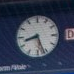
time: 8:26
